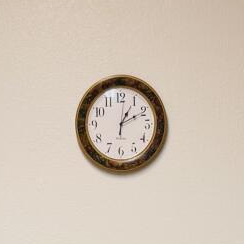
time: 1:10
